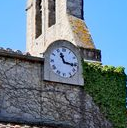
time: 11:16
